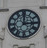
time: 2:59
